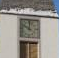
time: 10:00
